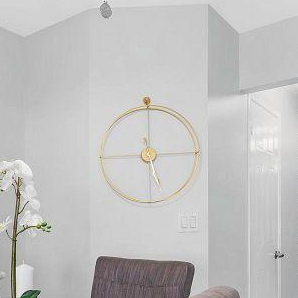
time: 5:26
